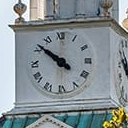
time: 9:51
